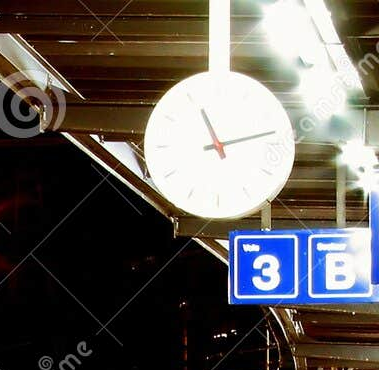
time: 11:12
